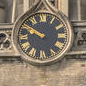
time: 9:50
